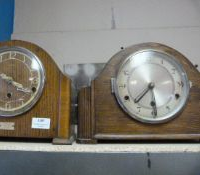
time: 7:29
